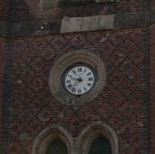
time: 9:36
